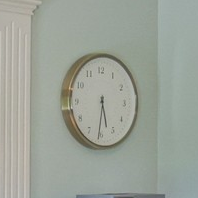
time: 5:31
